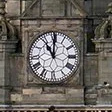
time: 11:00
